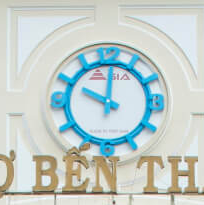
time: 10:00
